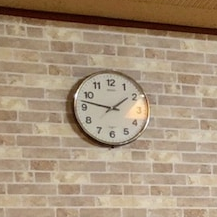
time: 1:47
